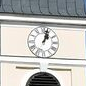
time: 1:02
